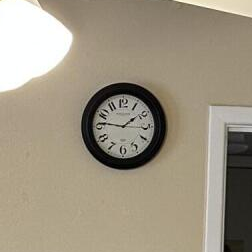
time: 1:46
